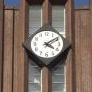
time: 4:09
